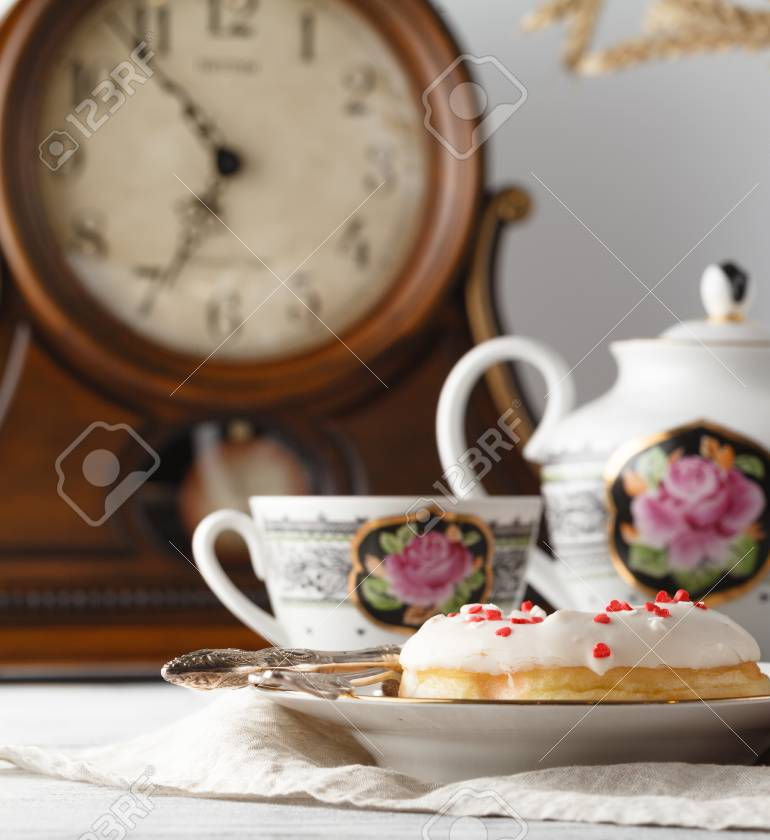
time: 6:53
